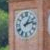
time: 1:12
